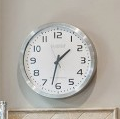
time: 1:32
